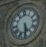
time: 5:30
